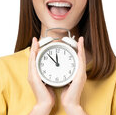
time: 11:52
